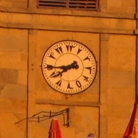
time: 7:43
